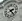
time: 2:23
